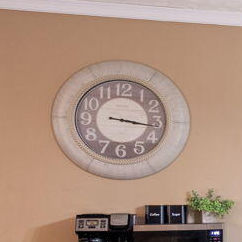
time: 3:16
